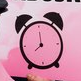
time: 8:00
